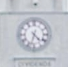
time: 4:32
